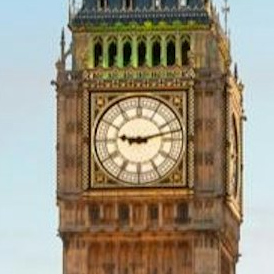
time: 9:12
